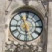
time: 5:55
